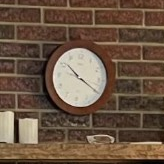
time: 10:19
